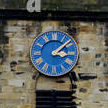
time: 3:08
